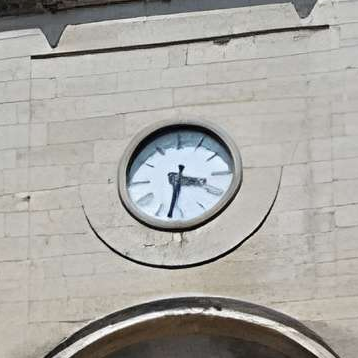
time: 3:32
